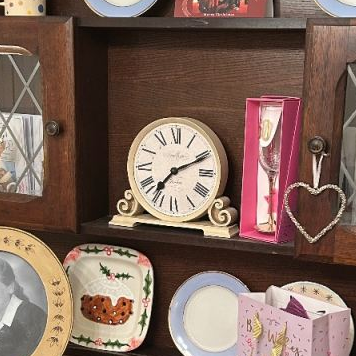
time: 7:10
